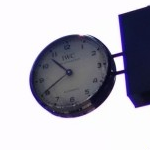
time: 10:40
